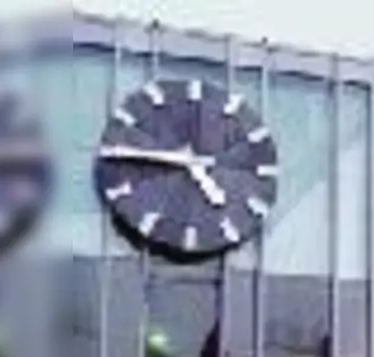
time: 4:44
